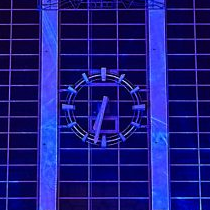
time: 6:32
